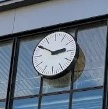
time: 2:50
